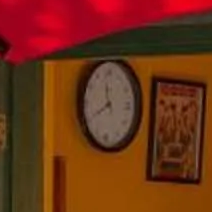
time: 11:40
